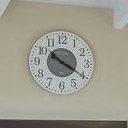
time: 10:20
